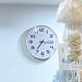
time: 7:15
